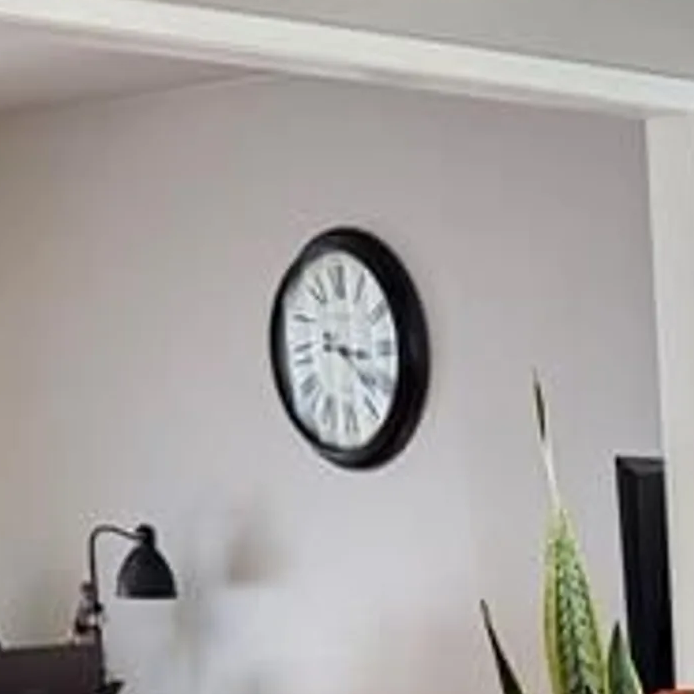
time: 3:22
